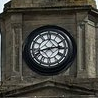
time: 8:14
